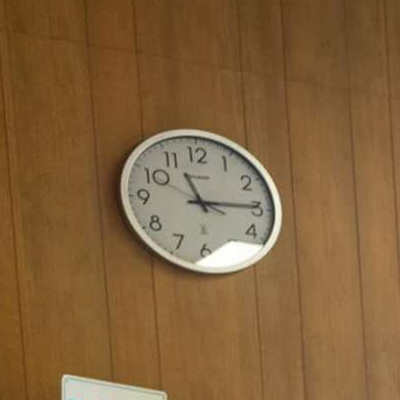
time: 11:14
